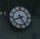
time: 8:24
